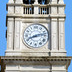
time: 8:12
